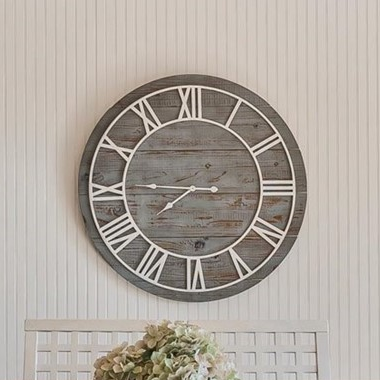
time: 7:45
